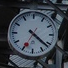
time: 4:21
